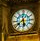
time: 5:38
